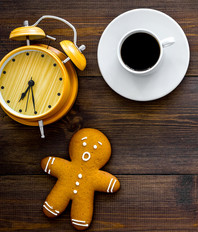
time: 7:30
